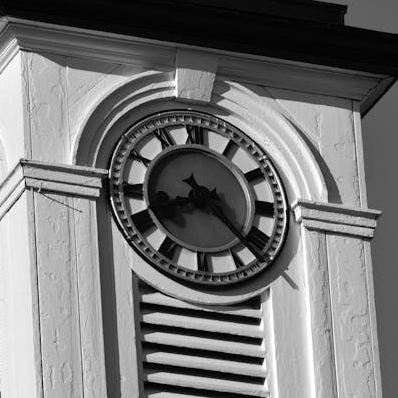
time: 8:22
